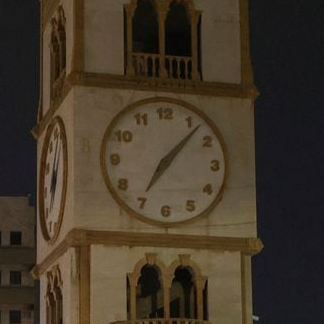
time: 7:07
